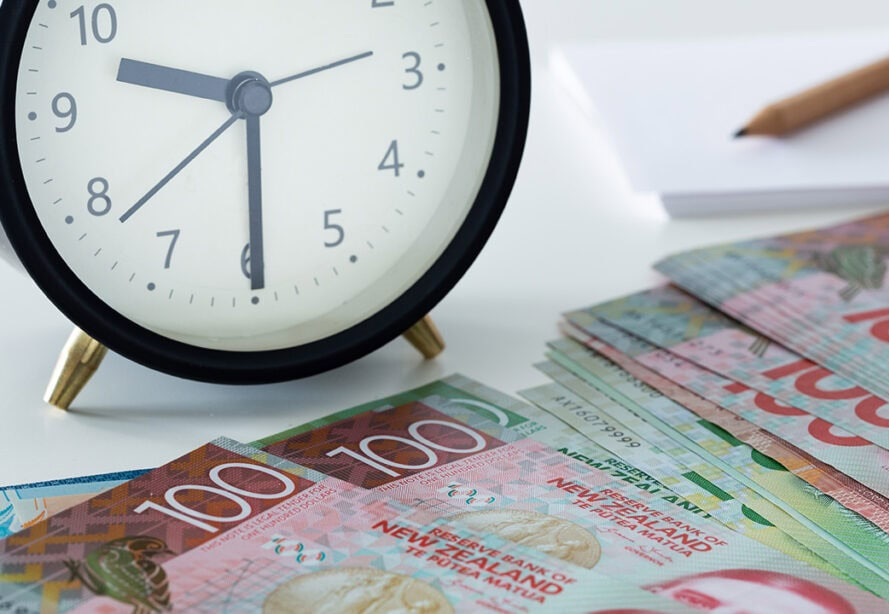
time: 9:29
